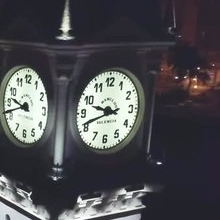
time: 9:41
